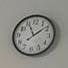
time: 11:08
